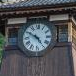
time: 4:50
